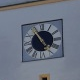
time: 4:54
